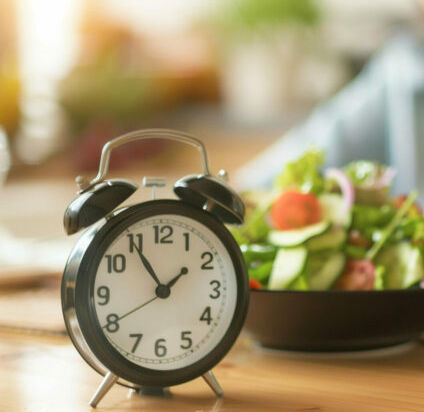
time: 1:54
